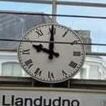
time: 9:59
